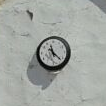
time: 11:22
